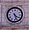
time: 4:26
